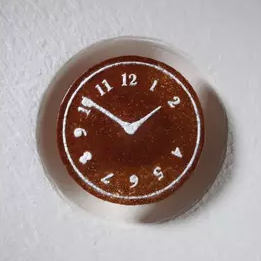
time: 1:51
